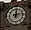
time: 12:13
